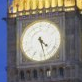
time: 4:27
